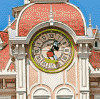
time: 1:28
